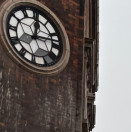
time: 12:13
